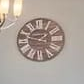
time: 1:46
